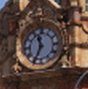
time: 11:34
